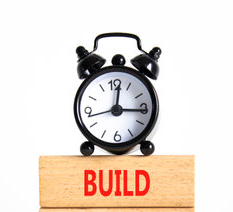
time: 12:15
